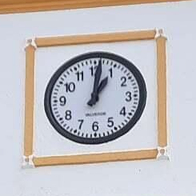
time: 1:01
